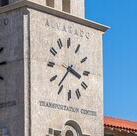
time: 3:36
